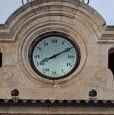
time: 8:10
